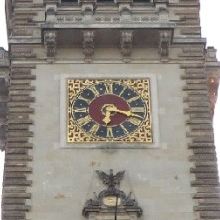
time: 6:17
